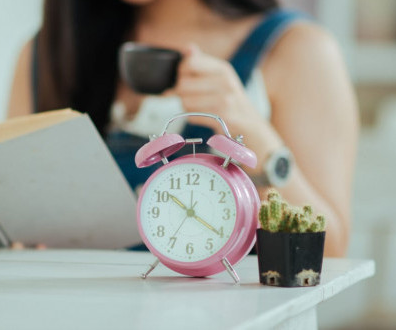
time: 10:21
